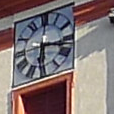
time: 6:17
